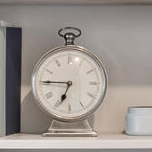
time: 6:45
